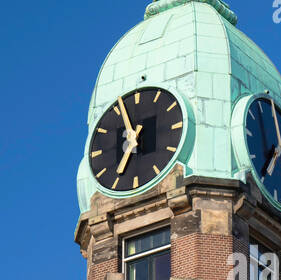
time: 6:56
